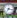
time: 7:17
